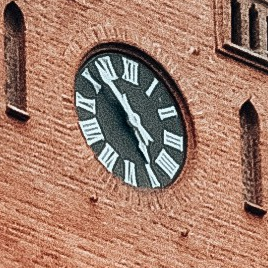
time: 4:53
